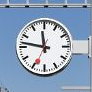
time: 11:46
